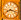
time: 8:17
